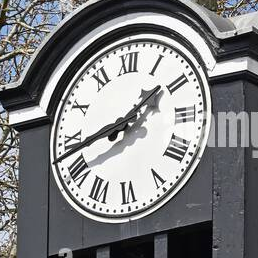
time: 1:43
